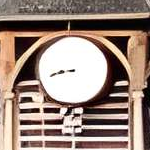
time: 8:42
